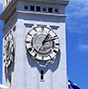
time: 1:11
